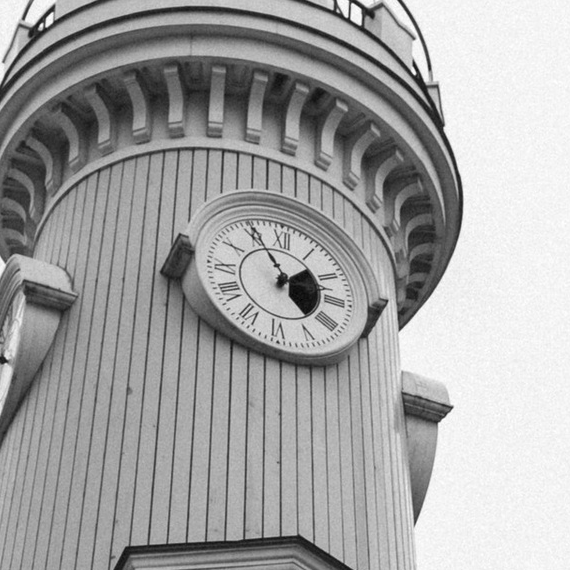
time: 1:55
